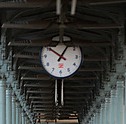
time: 10:05
